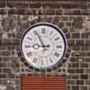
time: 8:55
